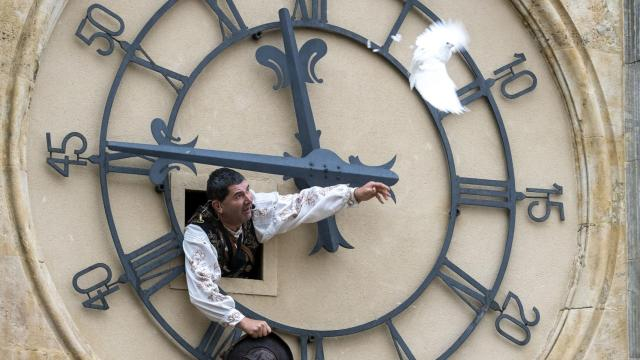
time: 11:45
